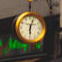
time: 6:03
